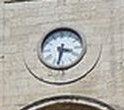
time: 3:32
